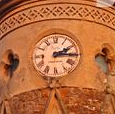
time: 2:15
